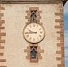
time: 9:44
